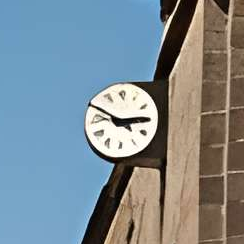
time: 2:49
